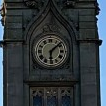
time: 6:08
